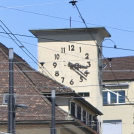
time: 3:22
